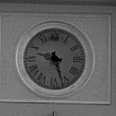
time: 9:27
